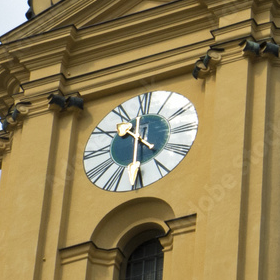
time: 4:30
